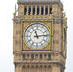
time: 11:13
